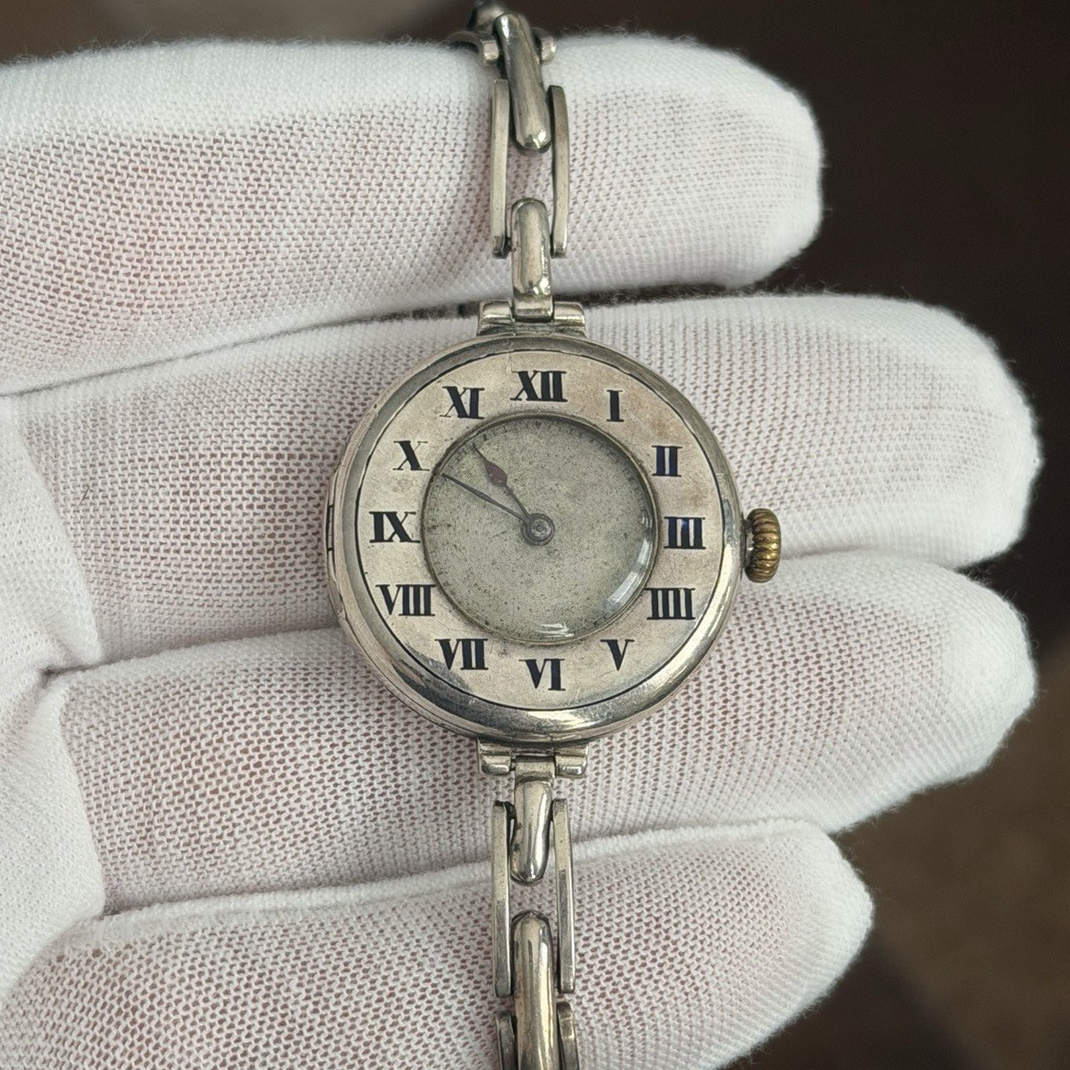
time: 10:50
